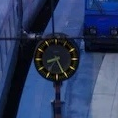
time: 8:25
